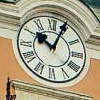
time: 10:04
